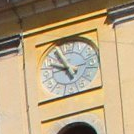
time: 9:55
